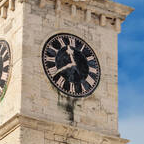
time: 11:38
